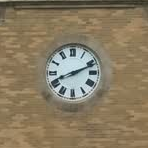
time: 8:11
